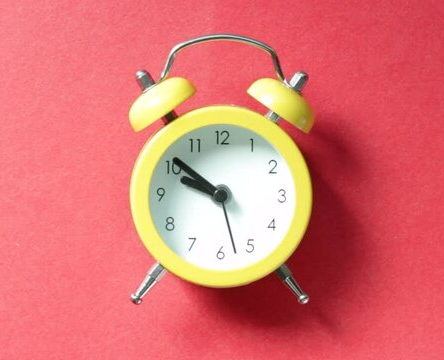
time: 9:51
